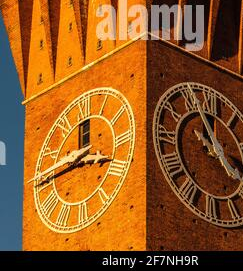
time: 3:44
